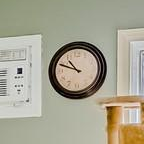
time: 10:48
